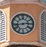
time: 2:43
